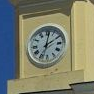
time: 2:01
